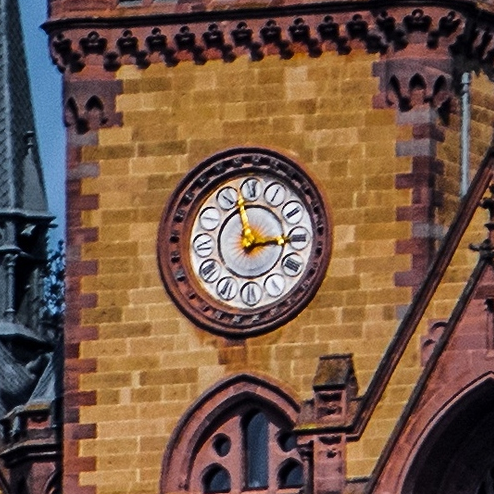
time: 2:58
